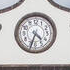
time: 4:33
